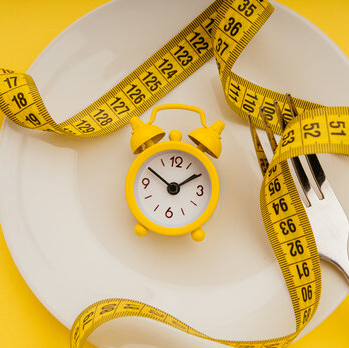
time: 1:50
